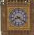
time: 8:21
